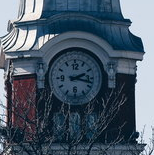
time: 2:17
